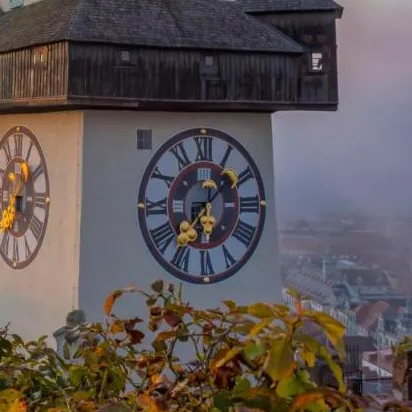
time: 1:36
